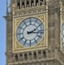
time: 2:16
